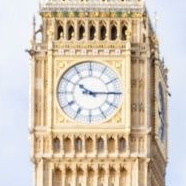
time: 10:14
